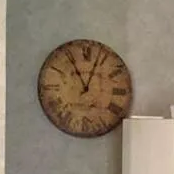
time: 11:03
